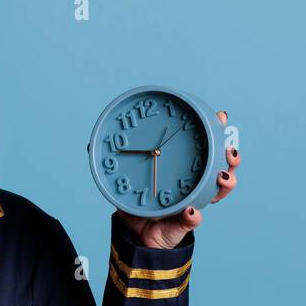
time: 9:32
